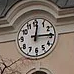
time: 12:14
